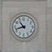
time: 10:42
